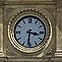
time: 3:31
